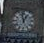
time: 12:57
